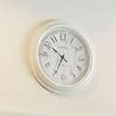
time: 10:34
